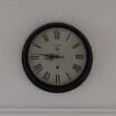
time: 8:46
